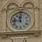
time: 11:46
